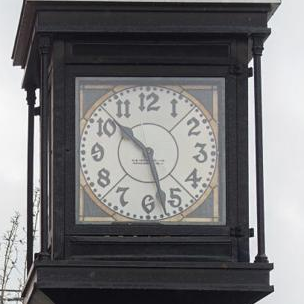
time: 10:27
